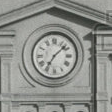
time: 7:07
